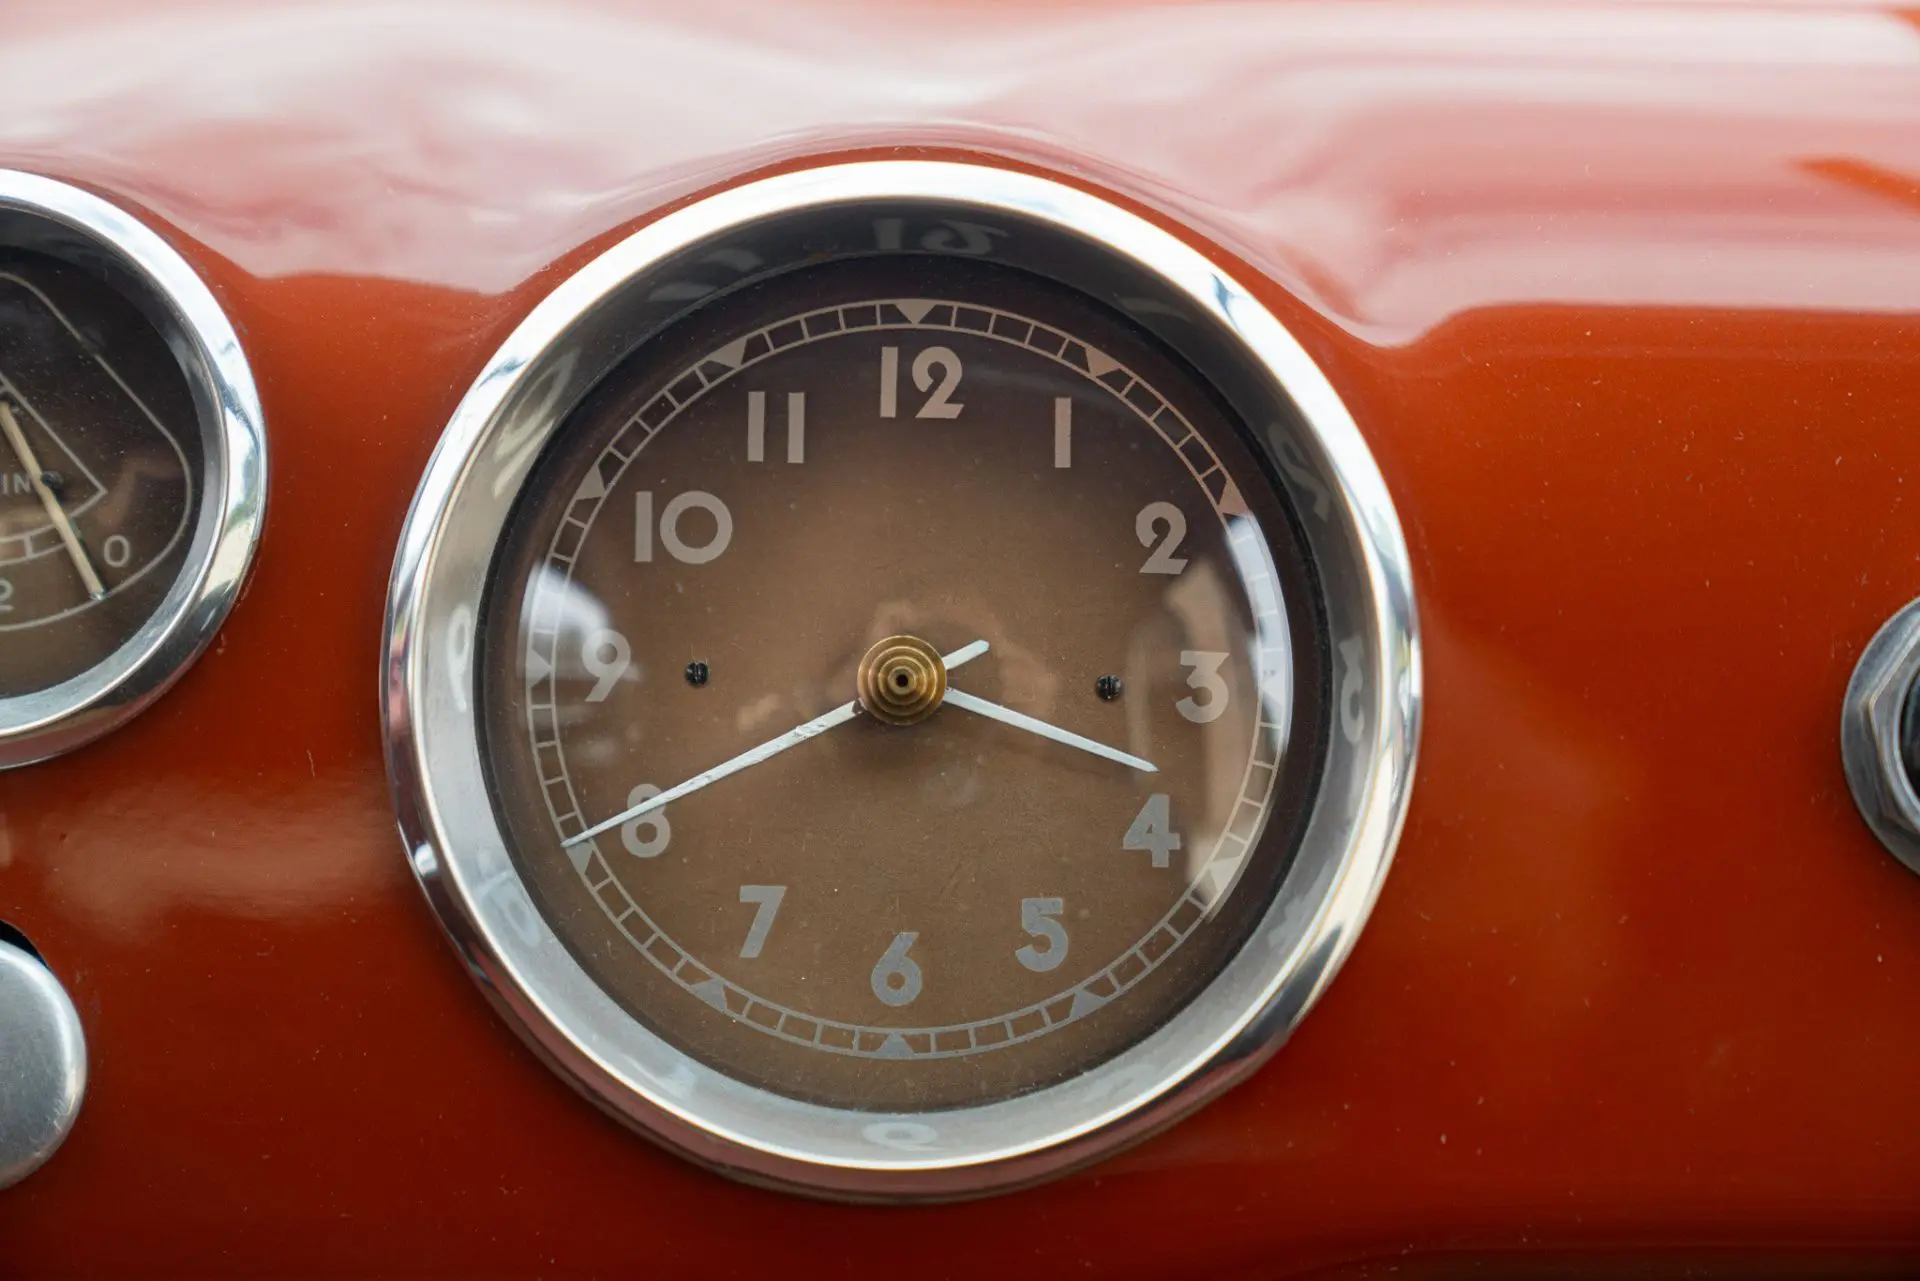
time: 3:40
